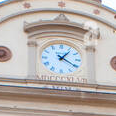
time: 1:20
